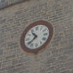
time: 10:38
